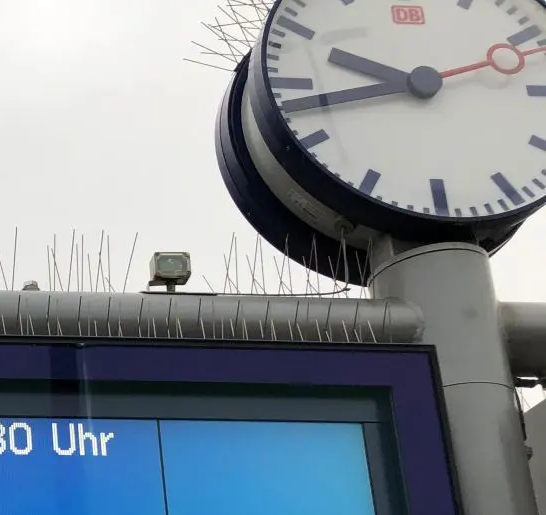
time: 9:42
